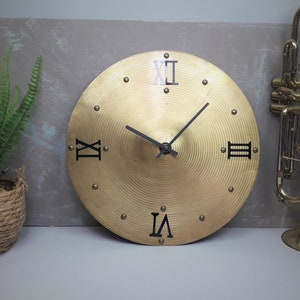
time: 10:07
